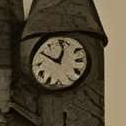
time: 12:50
